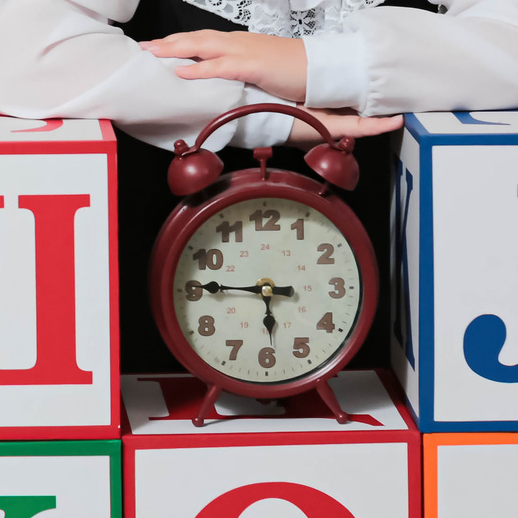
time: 5:46
